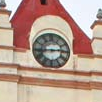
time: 2:43
